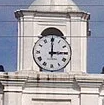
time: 2:59
